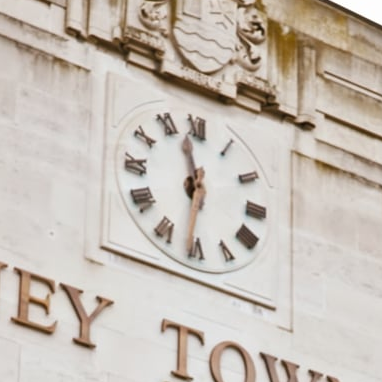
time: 11:31
